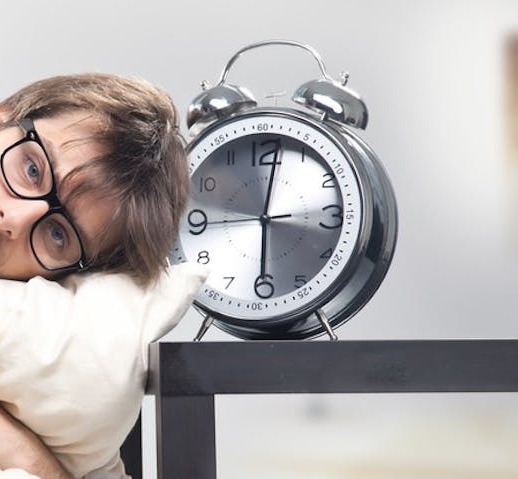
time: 6:01
